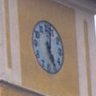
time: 5:02
